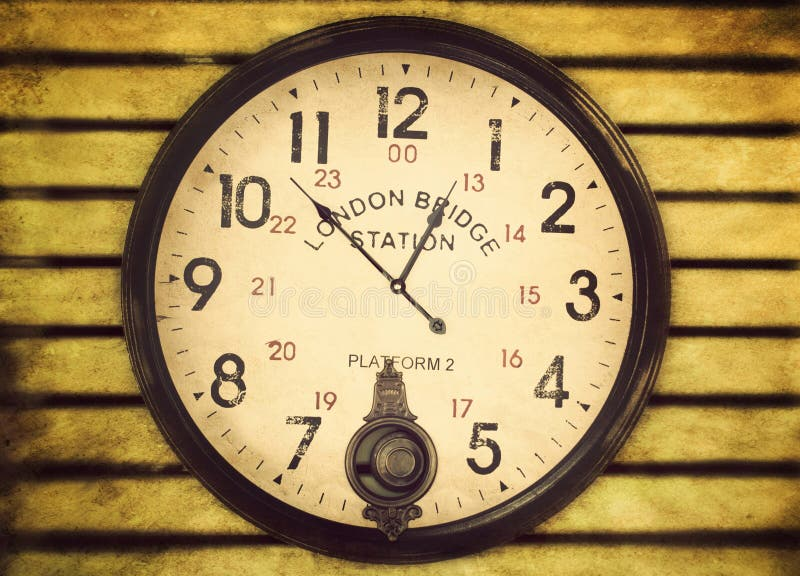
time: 12:52
